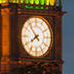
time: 7:53
